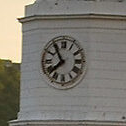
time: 7:54
